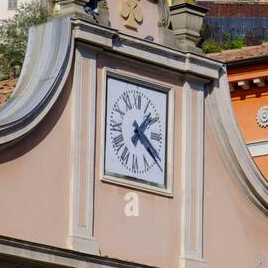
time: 1:20
